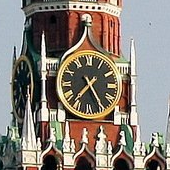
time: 7:25
